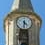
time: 4:31
